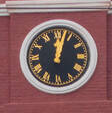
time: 12:02
